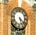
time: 5:21
